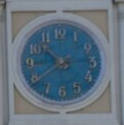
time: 10:39
